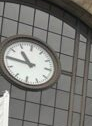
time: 10:45
